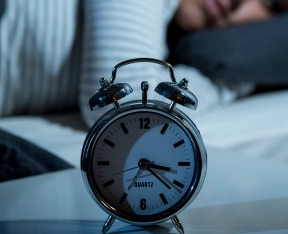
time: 3:22
